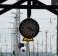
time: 4:17
